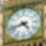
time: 4:42
